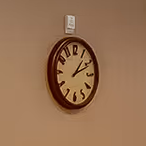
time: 1:11
